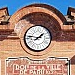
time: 1:46
